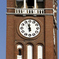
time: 11:56
